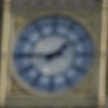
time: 1:45
